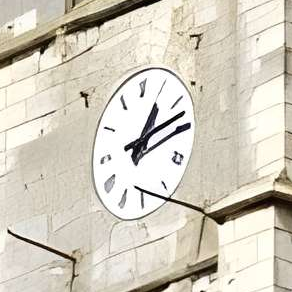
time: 1:12
